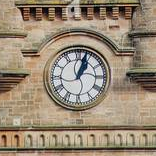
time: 1:03
